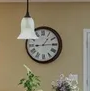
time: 1:14
